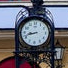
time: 8:42
